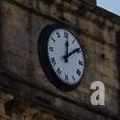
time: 12:09
